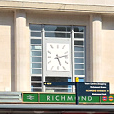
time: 5:13
